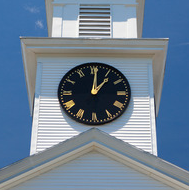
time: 1:00
